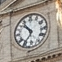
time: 10:36
